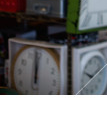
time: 5:59
